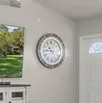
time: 10:45
